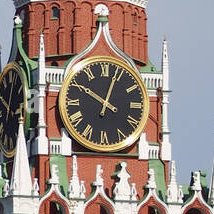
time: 10:03
